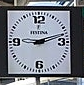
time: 9:12
